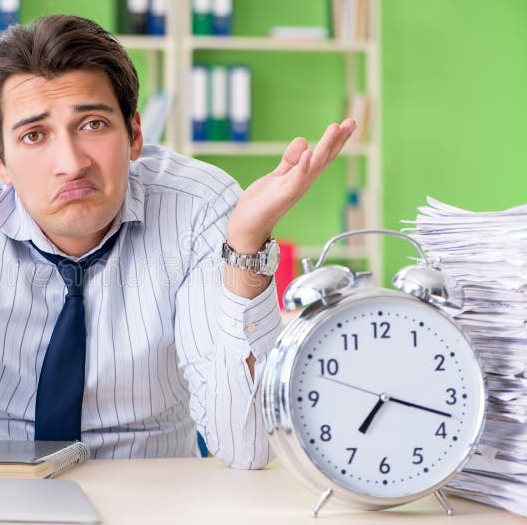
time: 7:17
